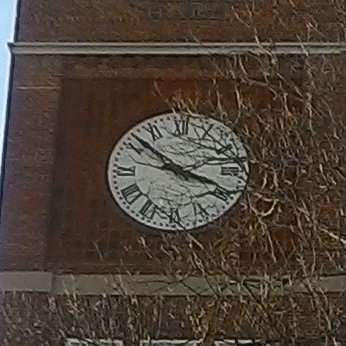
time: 3:52
